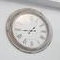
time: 1:44
